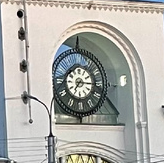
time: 7:15
